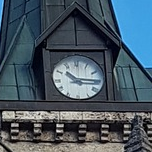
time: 10:15
